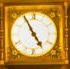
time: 4:55
